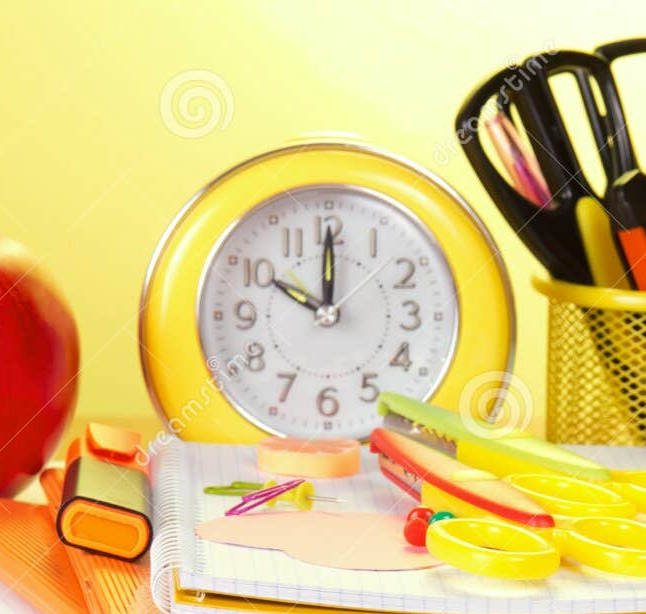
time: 10:00
